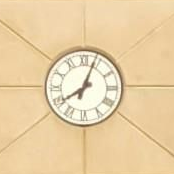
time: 8:03
